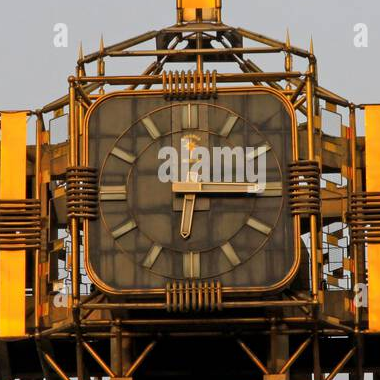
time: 6:15
